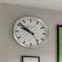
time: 9:51
